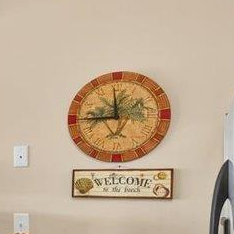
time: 11:44
